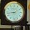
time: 8:43
